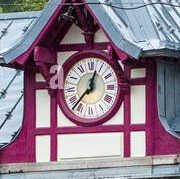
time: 12:37
